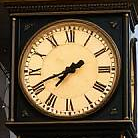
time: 7:41
